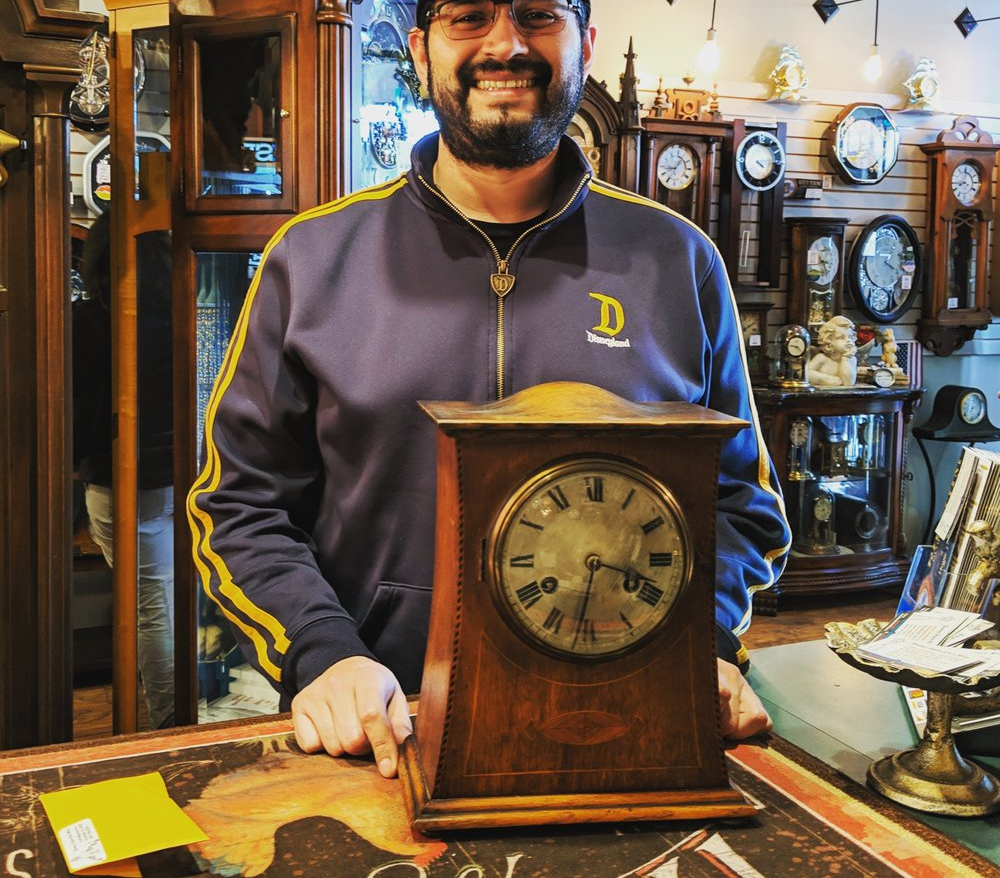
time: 3:32
